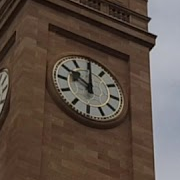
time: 10:00
